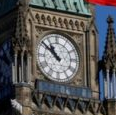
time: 10:51
